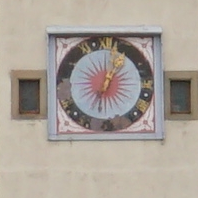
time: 1:02
